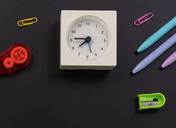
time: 7:45
